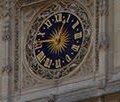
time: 9:03
